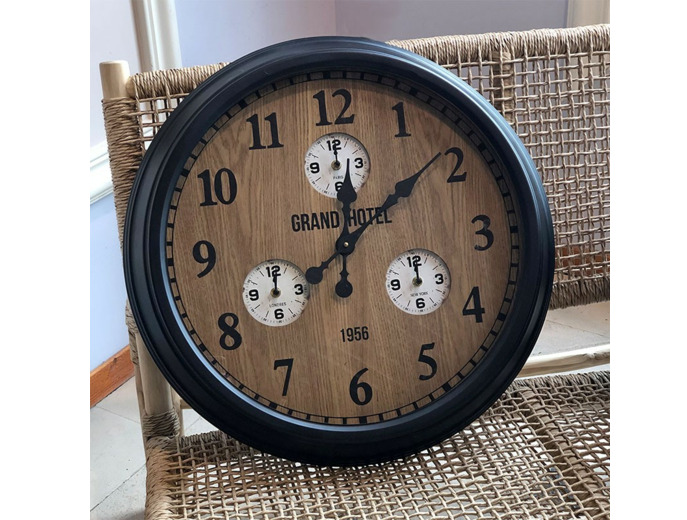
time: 12:08
